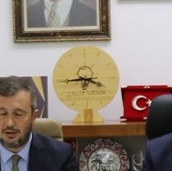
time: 3:44
